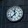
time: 11:37
